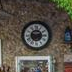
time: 2:15
